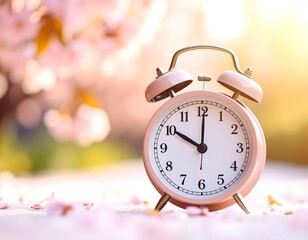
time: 10:00
